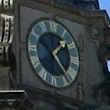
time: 1:23
